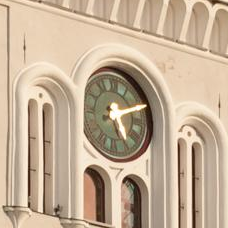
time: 5:12
